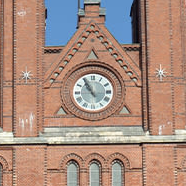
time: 10:55
